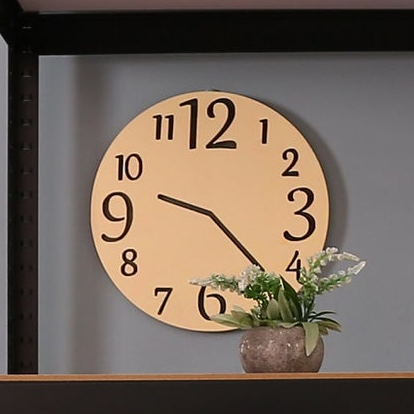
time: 9:22
